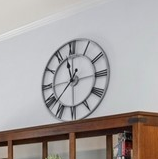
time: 11:37
